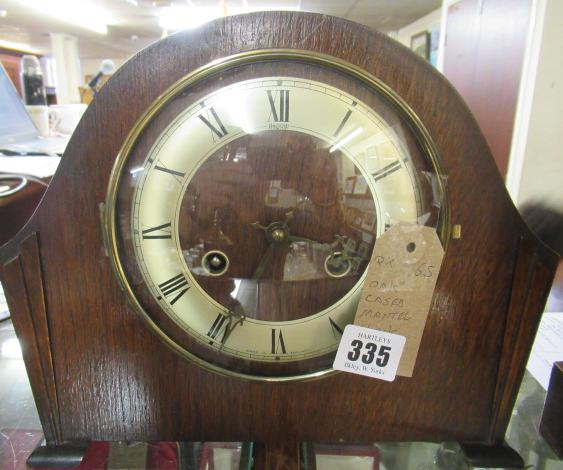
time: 3:34
